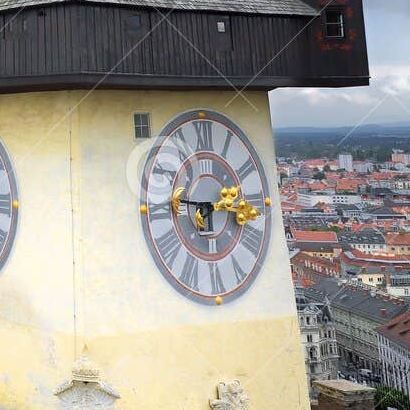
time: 2:46
